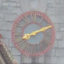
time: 8:11
